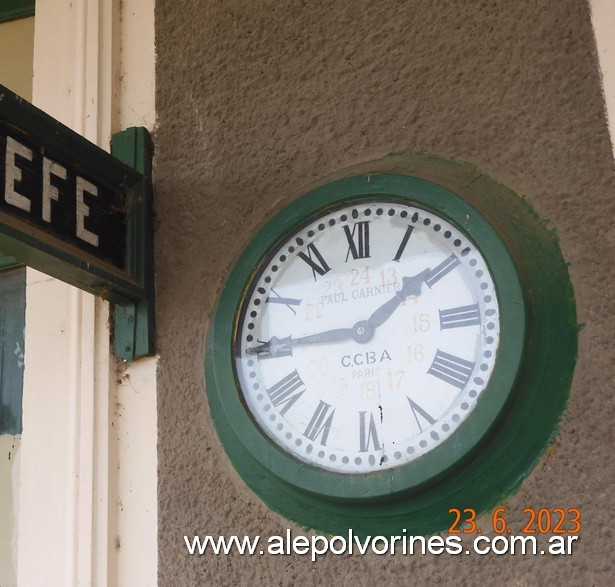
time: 1:44
